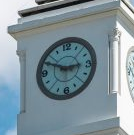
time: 2:49
